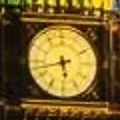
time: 5:42
